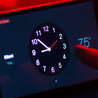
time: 8:51
